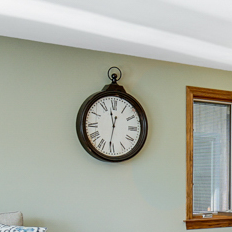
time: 11:31
